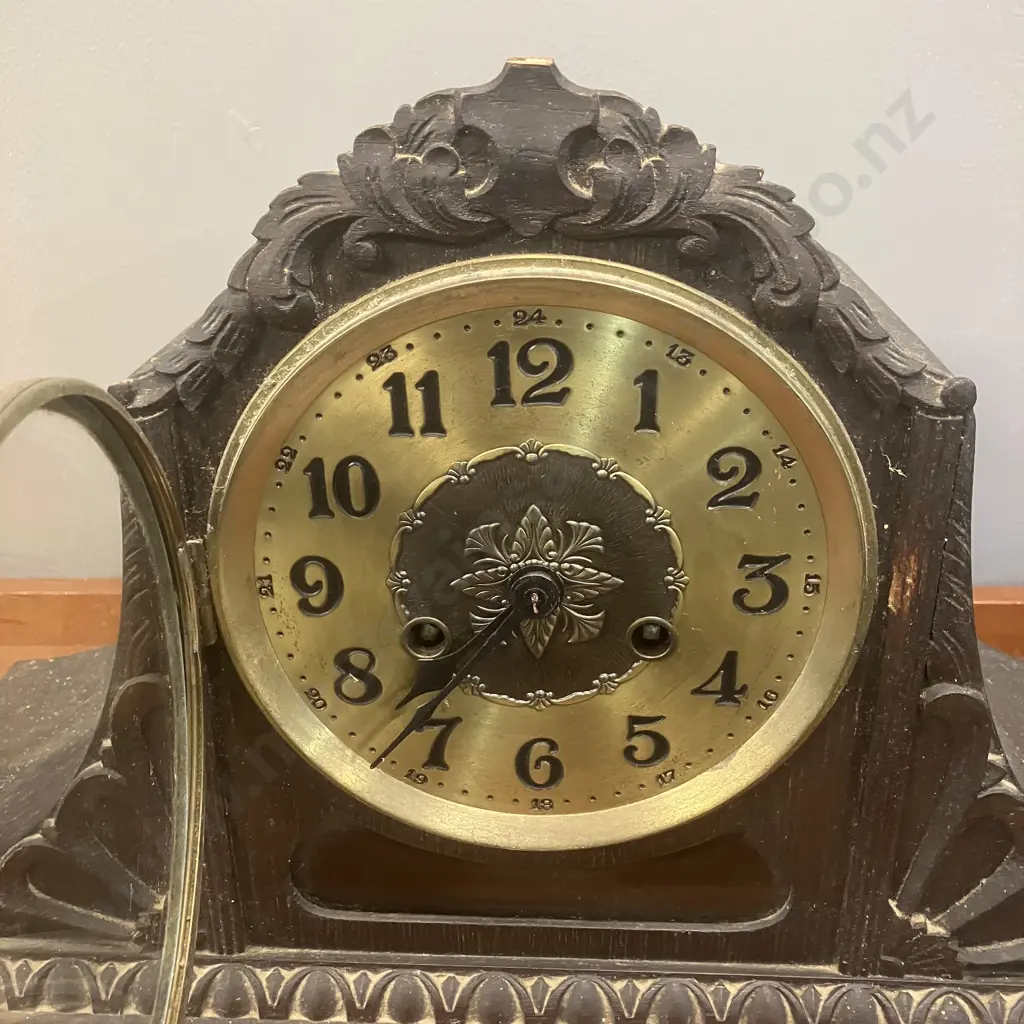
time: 7:36
